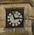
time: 2:56
